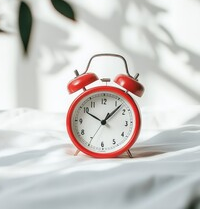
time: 10:07
